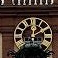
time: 12:09
